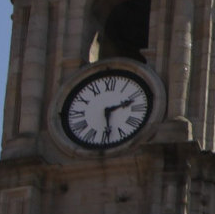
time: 2:29
